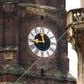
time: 11:44
